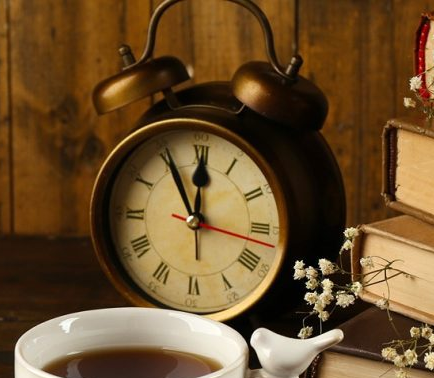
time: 11:55
